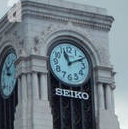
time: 11:10
